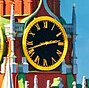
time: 2:42
